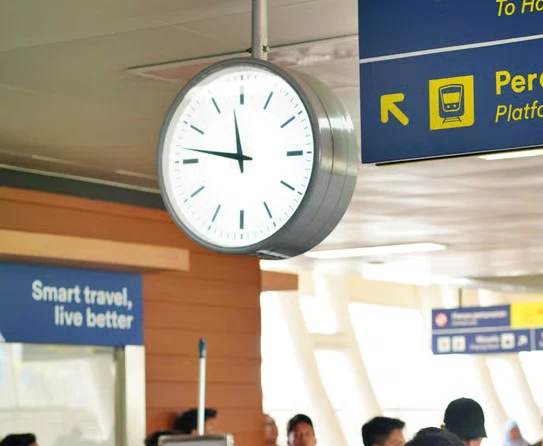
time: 11:46
